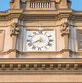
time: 7:40
